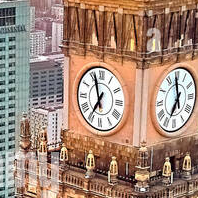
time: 6:56
